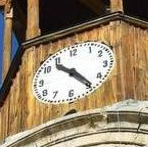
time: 10:23
